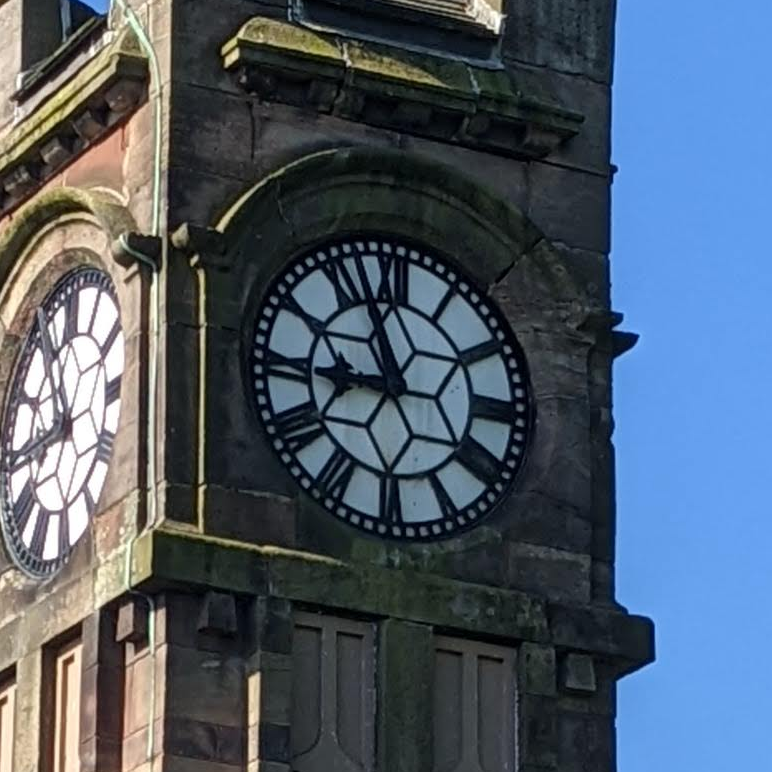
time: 8:56
